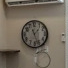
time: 1:26
